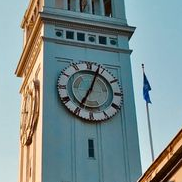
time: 7:03
